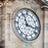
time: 11:16
